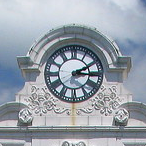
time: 2:16
